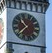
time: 10:37
